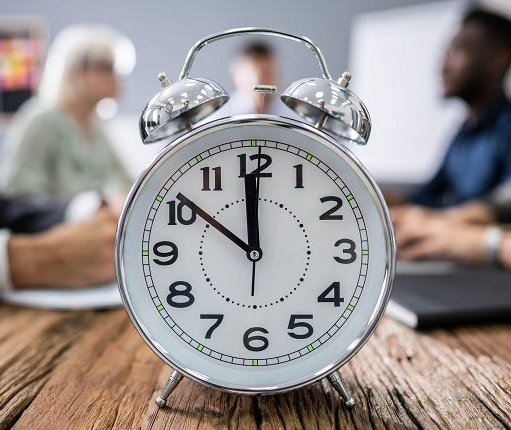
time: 11:51
